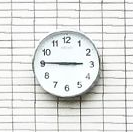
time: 2:45
